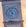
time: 6:54
